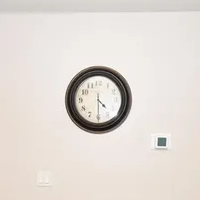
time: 4:29
